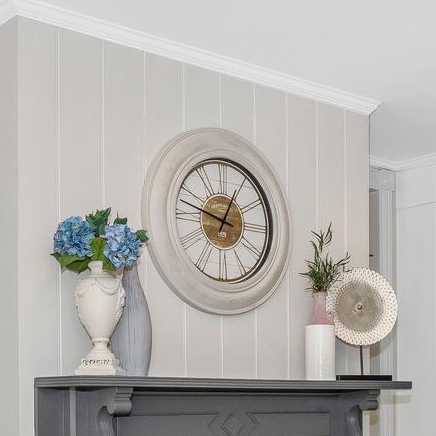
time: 12:47
